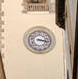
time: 3:16
